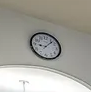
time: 9:07
